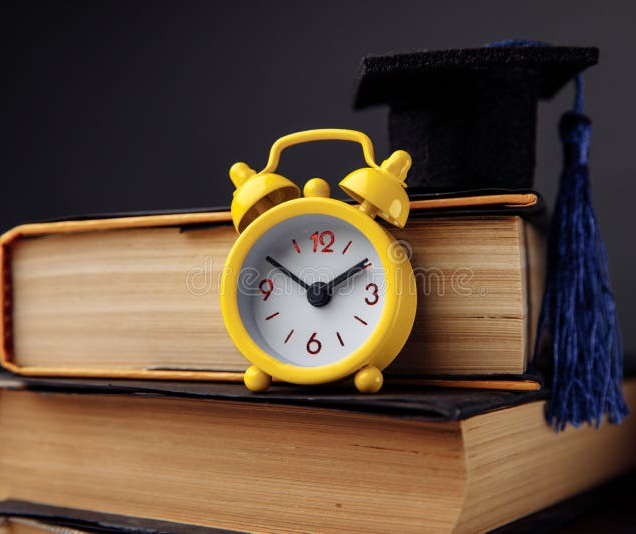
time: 1:50
